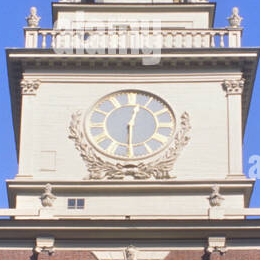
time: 12:29
